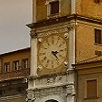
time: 3:22
